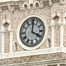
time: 4:00
